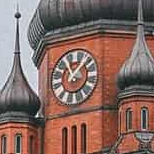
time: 11:07
